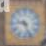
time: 9:26
